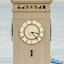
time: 3:23
